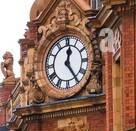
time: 12:24
